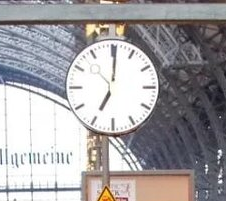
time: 7:00
